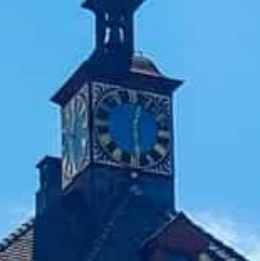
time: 12:28
